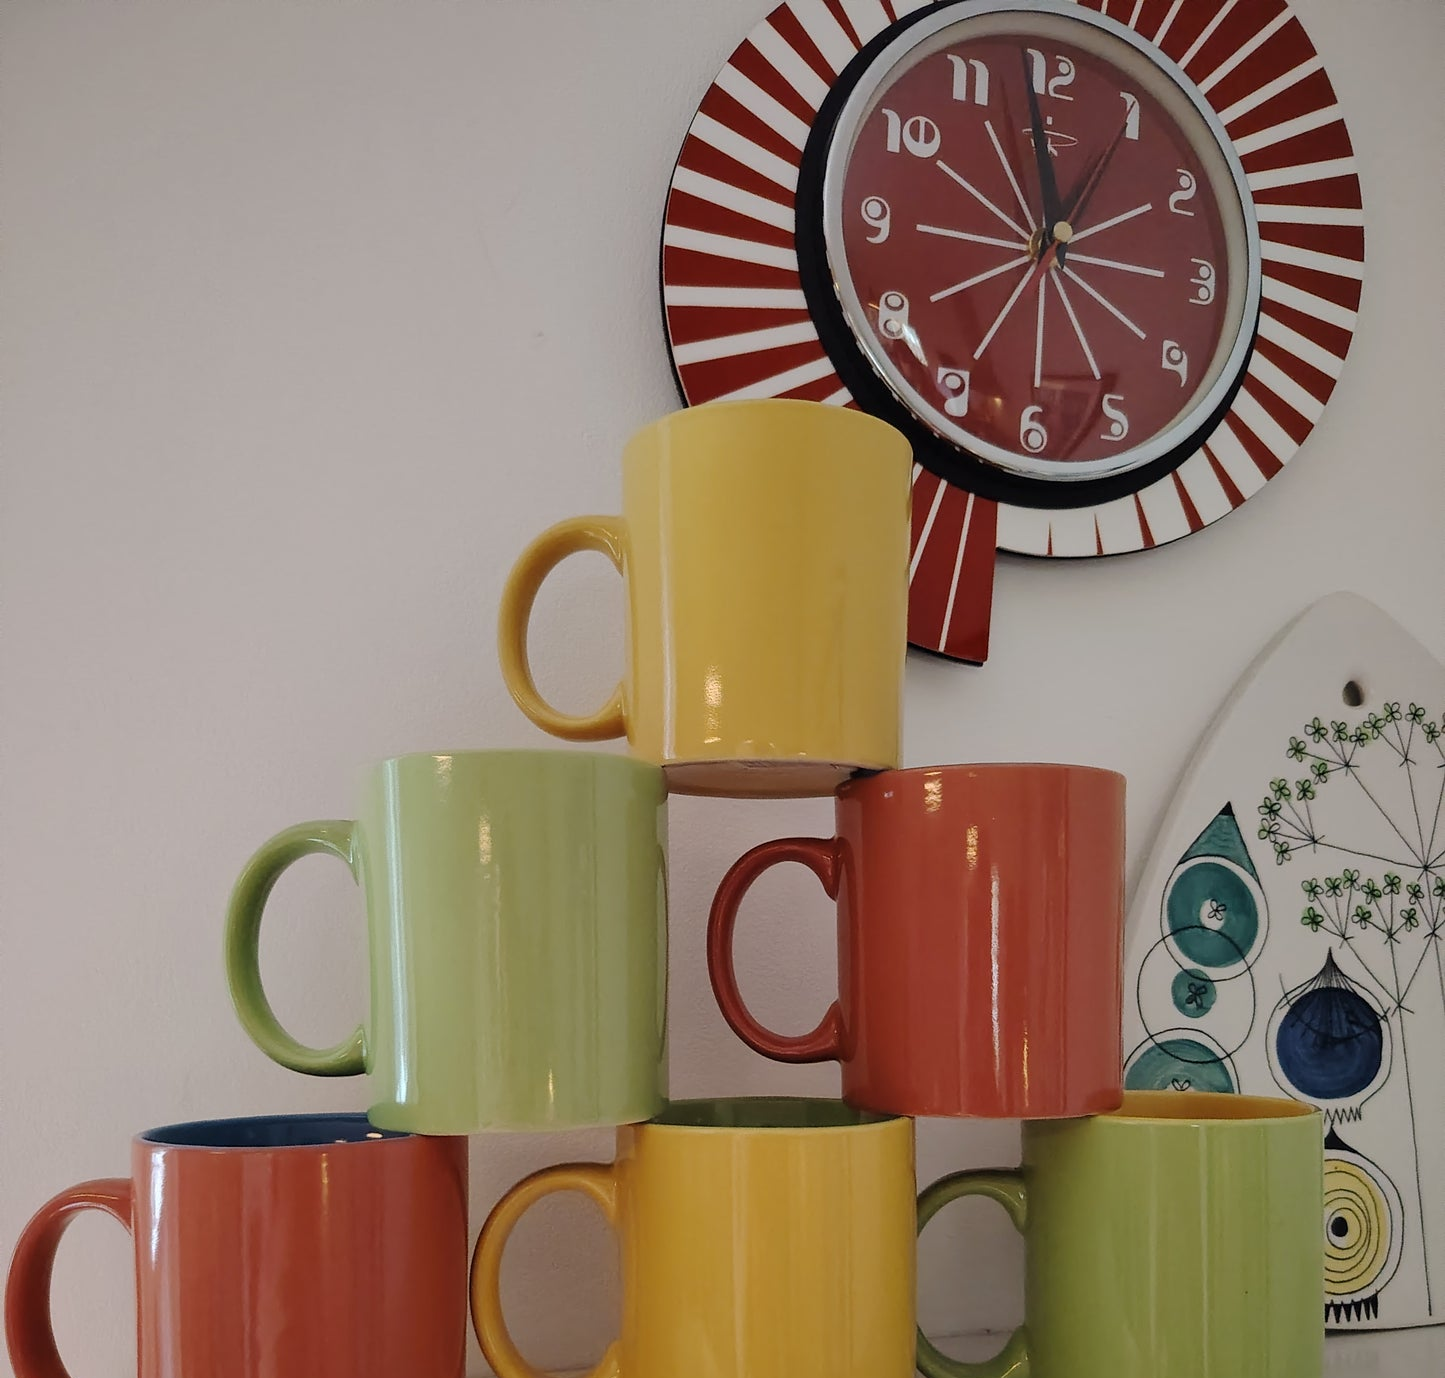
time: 11:58
